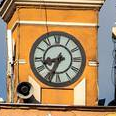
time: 8:33
